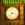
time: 7:17
